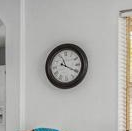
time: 11:19
